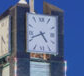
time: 4:41
